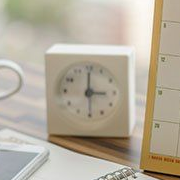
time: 3:00
